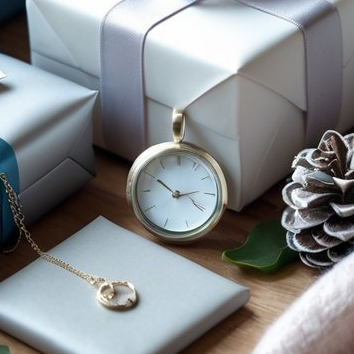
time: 2:50
